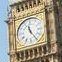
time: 11:24
